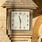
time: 11:29
